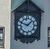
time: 1:49
